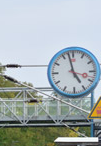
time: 4:57
